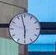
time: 5:57
